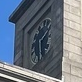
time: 1:28
